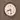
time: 8:27
